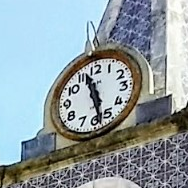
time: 11:28
